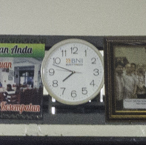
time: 7:47
